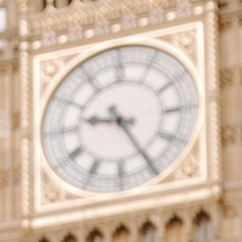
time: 9:25
